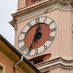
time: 12:34
